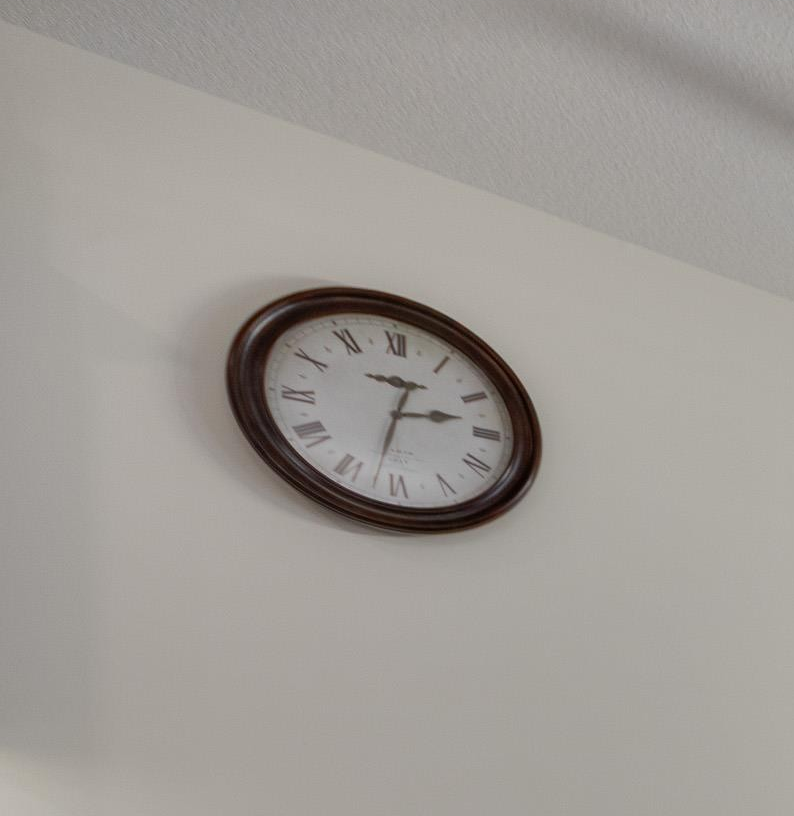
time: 2:32
